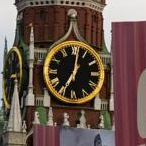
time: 7:01
